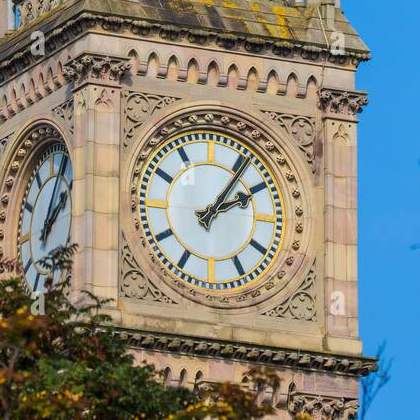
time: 2:06
